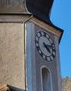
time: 4:12
